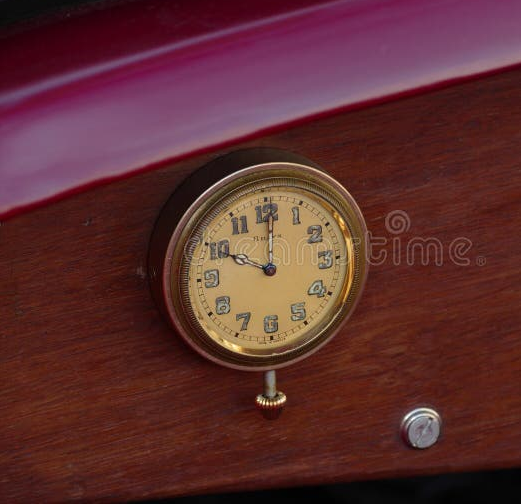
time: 10:00
